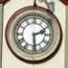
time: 2:29
